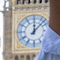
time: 12:07
